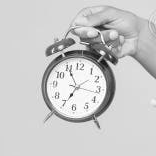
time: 6:55
